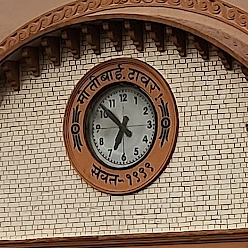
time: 6:52
